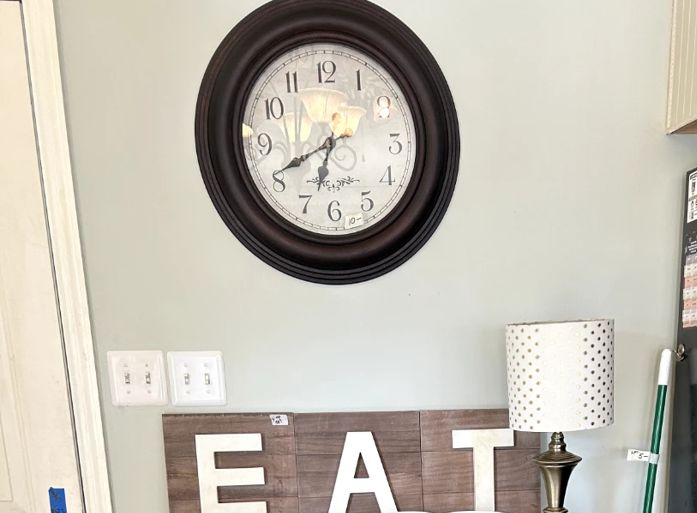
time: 6:40
